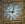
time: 9:01
